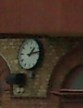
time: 1:13
